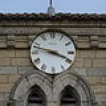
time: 3:47
